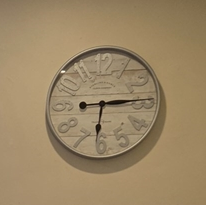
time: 6:14
